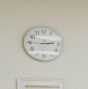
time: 2:45
